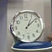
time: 1:08
